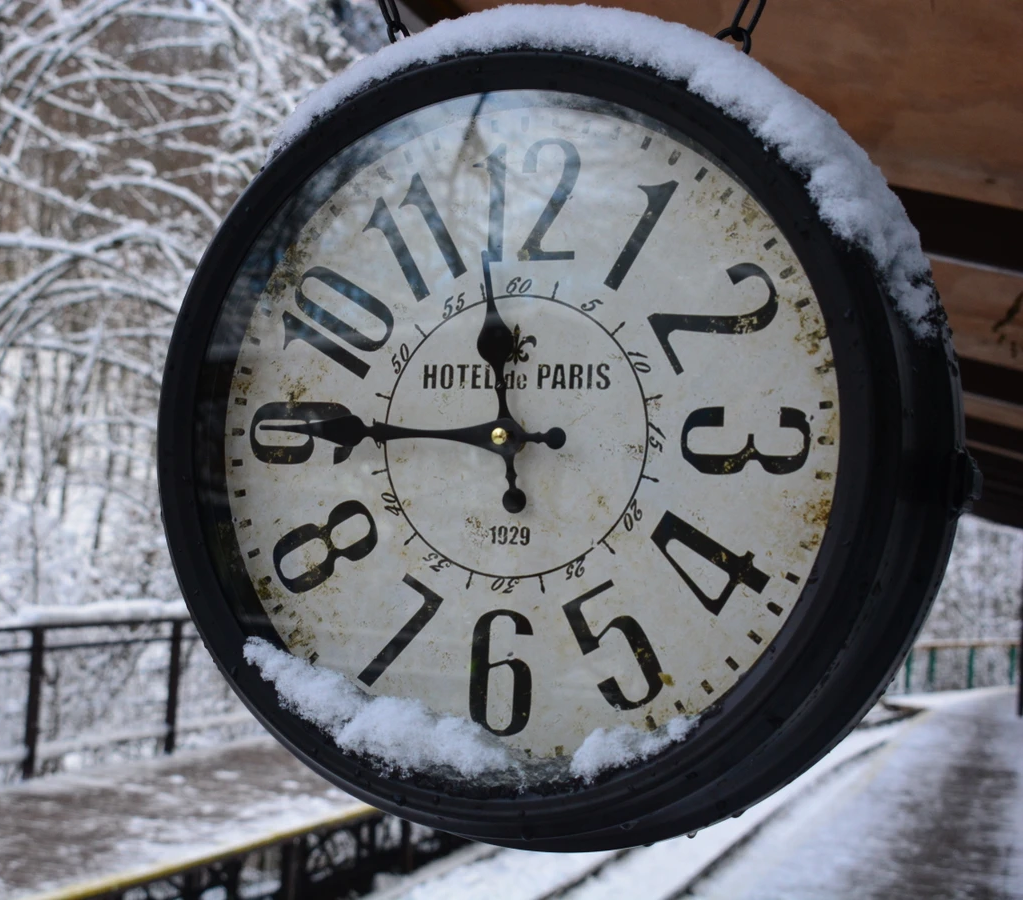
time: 11:45
